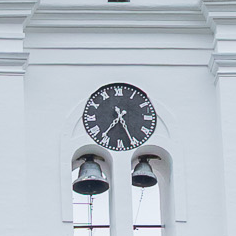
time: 7:26
